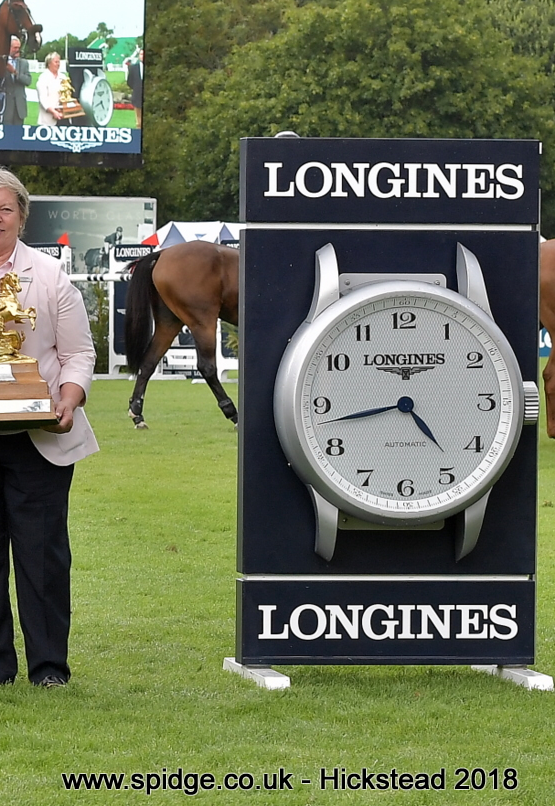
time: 4:42
